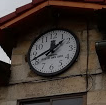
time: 1:41
